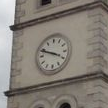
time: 3:48
